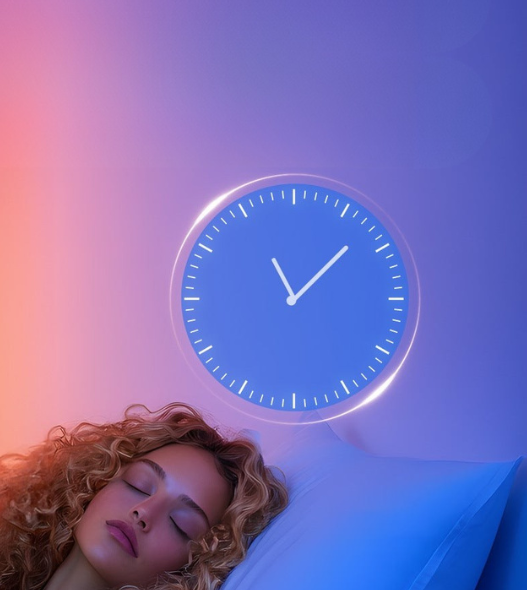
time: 11:07
